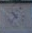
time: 10:36
